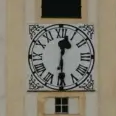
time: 12:30
